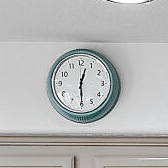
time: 12:29
